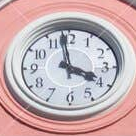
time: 3:58
